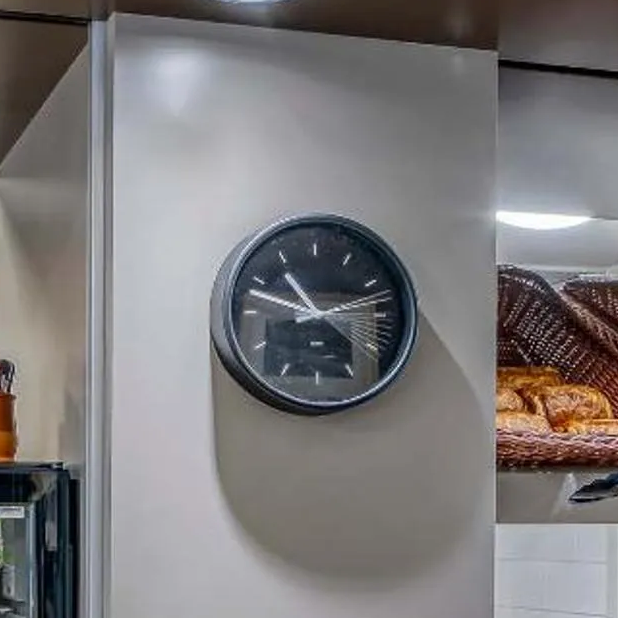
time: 10:48
